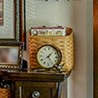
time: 1:23
